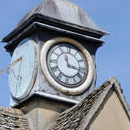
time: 11:16
